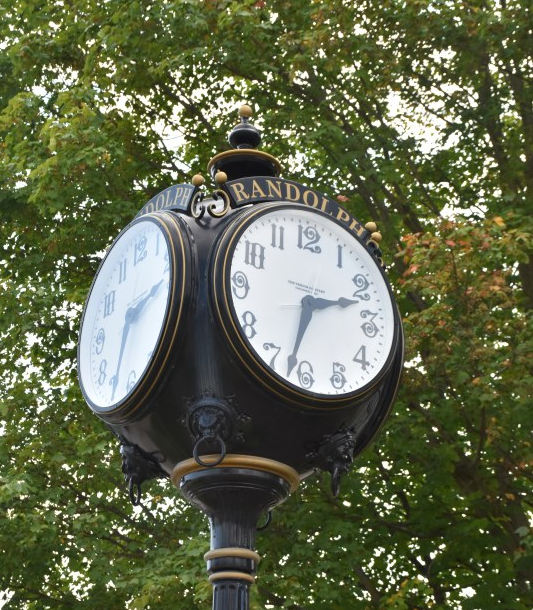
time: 2:32
